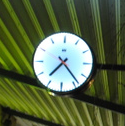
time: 7:23
